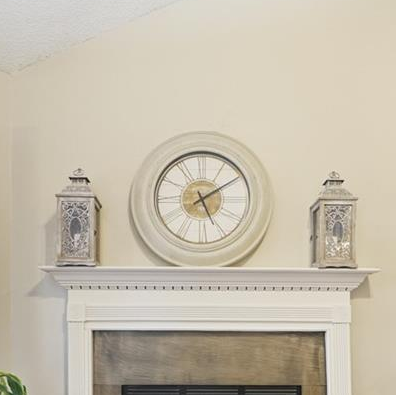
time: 5:09
